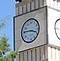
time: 3:46
